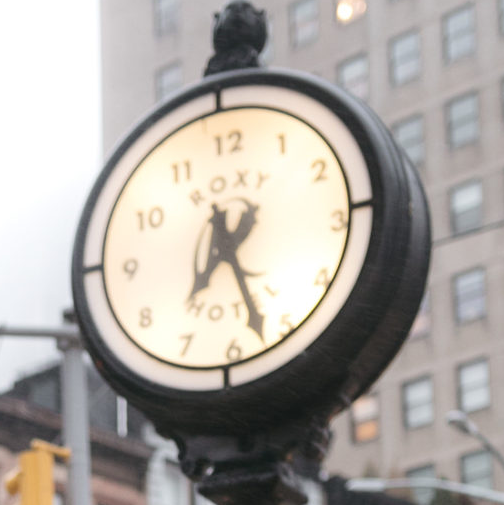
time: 7:27
